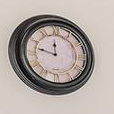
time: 11:47
